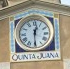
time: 12:29
